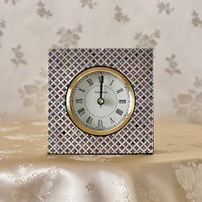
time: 12:00
